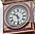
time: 10:28
